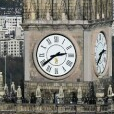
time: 2:39
